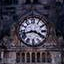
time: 3:42
